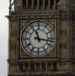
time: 11:16
